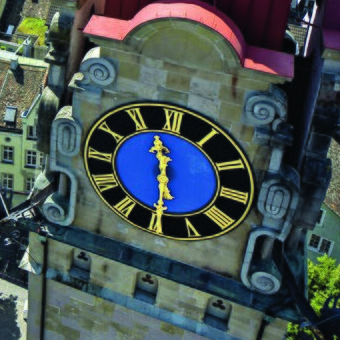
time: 11:29
